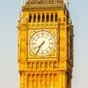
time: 7:35
